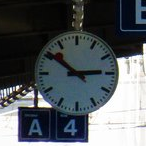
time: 10:14
